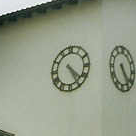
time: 4:24
